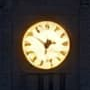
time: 2:50
